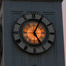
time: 5:04
